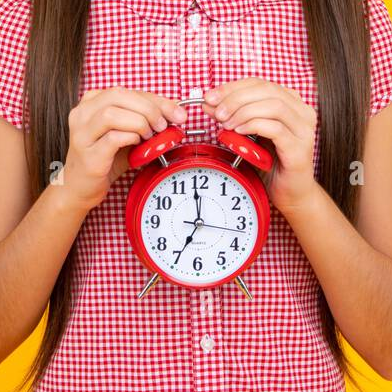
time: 6:59
